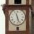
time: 11:26
